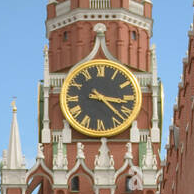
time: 3:22
